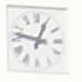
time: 12:47
